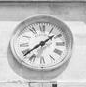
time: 1:38
